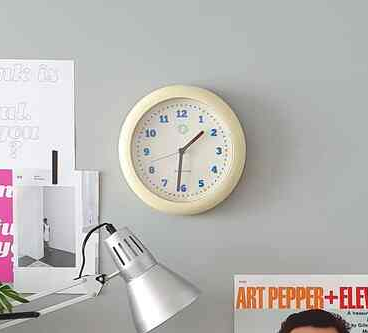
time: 1:31
